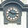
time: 10:14
